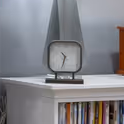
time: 10:32
